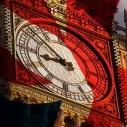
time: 8:52
